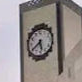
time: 5:38
